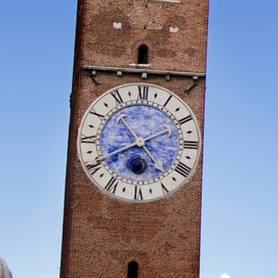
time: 10:40
